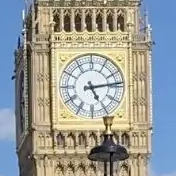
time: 5:13
